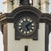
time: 5:08
